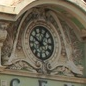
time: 10:04
